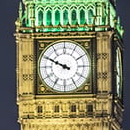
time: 9:49
